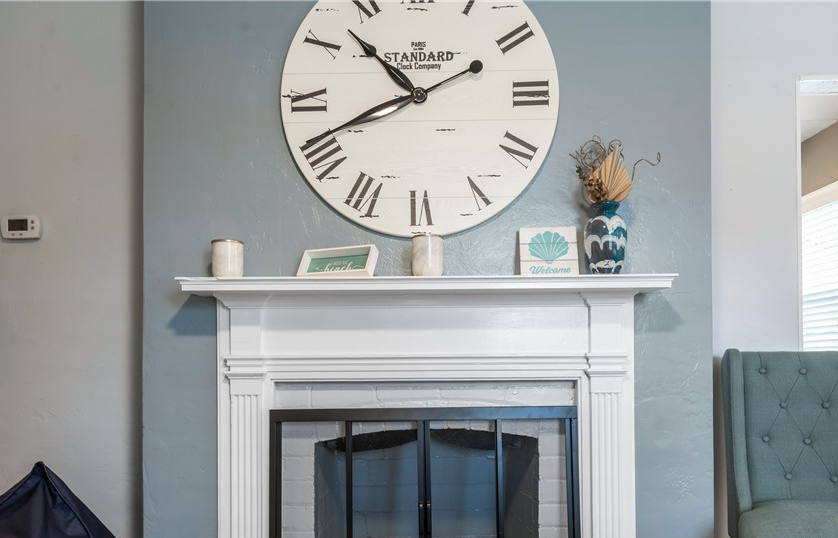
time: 10:41
